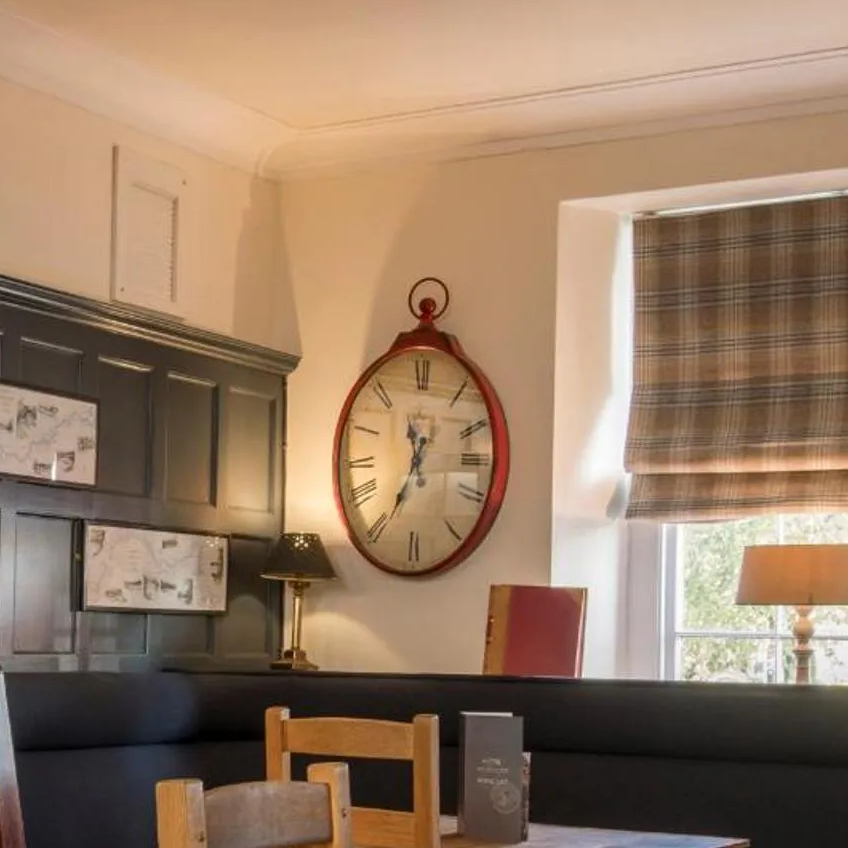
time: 11:34
